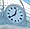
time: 12:38
